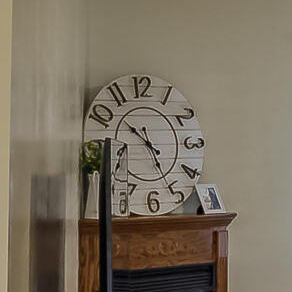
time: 10:25
